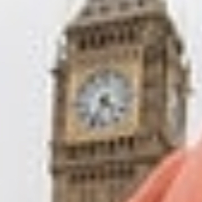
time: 4:34
